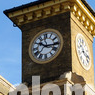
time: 10:15
